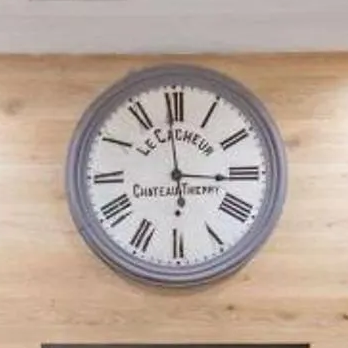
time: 2:58
